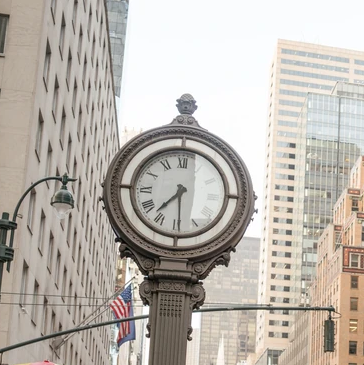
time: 7:29
